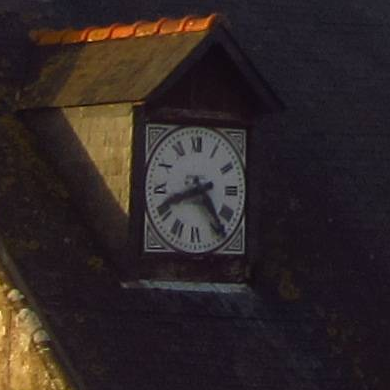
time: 8:23
